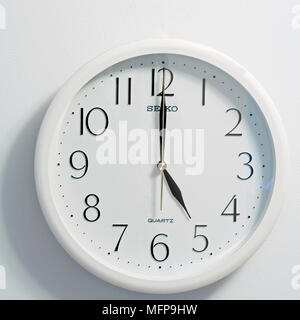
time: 4:59
